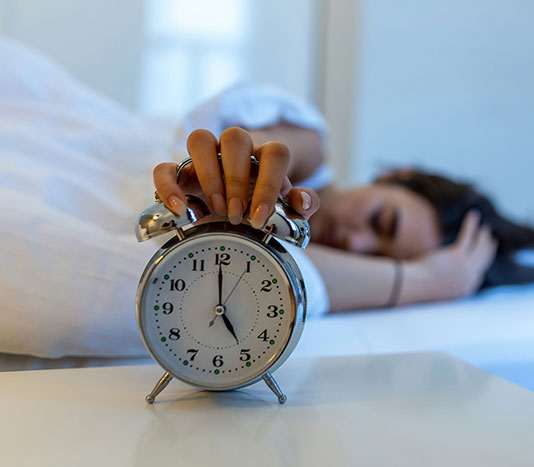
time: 4:59
